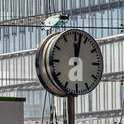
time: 12:02
